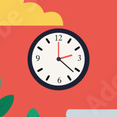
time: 2:21
